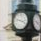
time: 3:47
